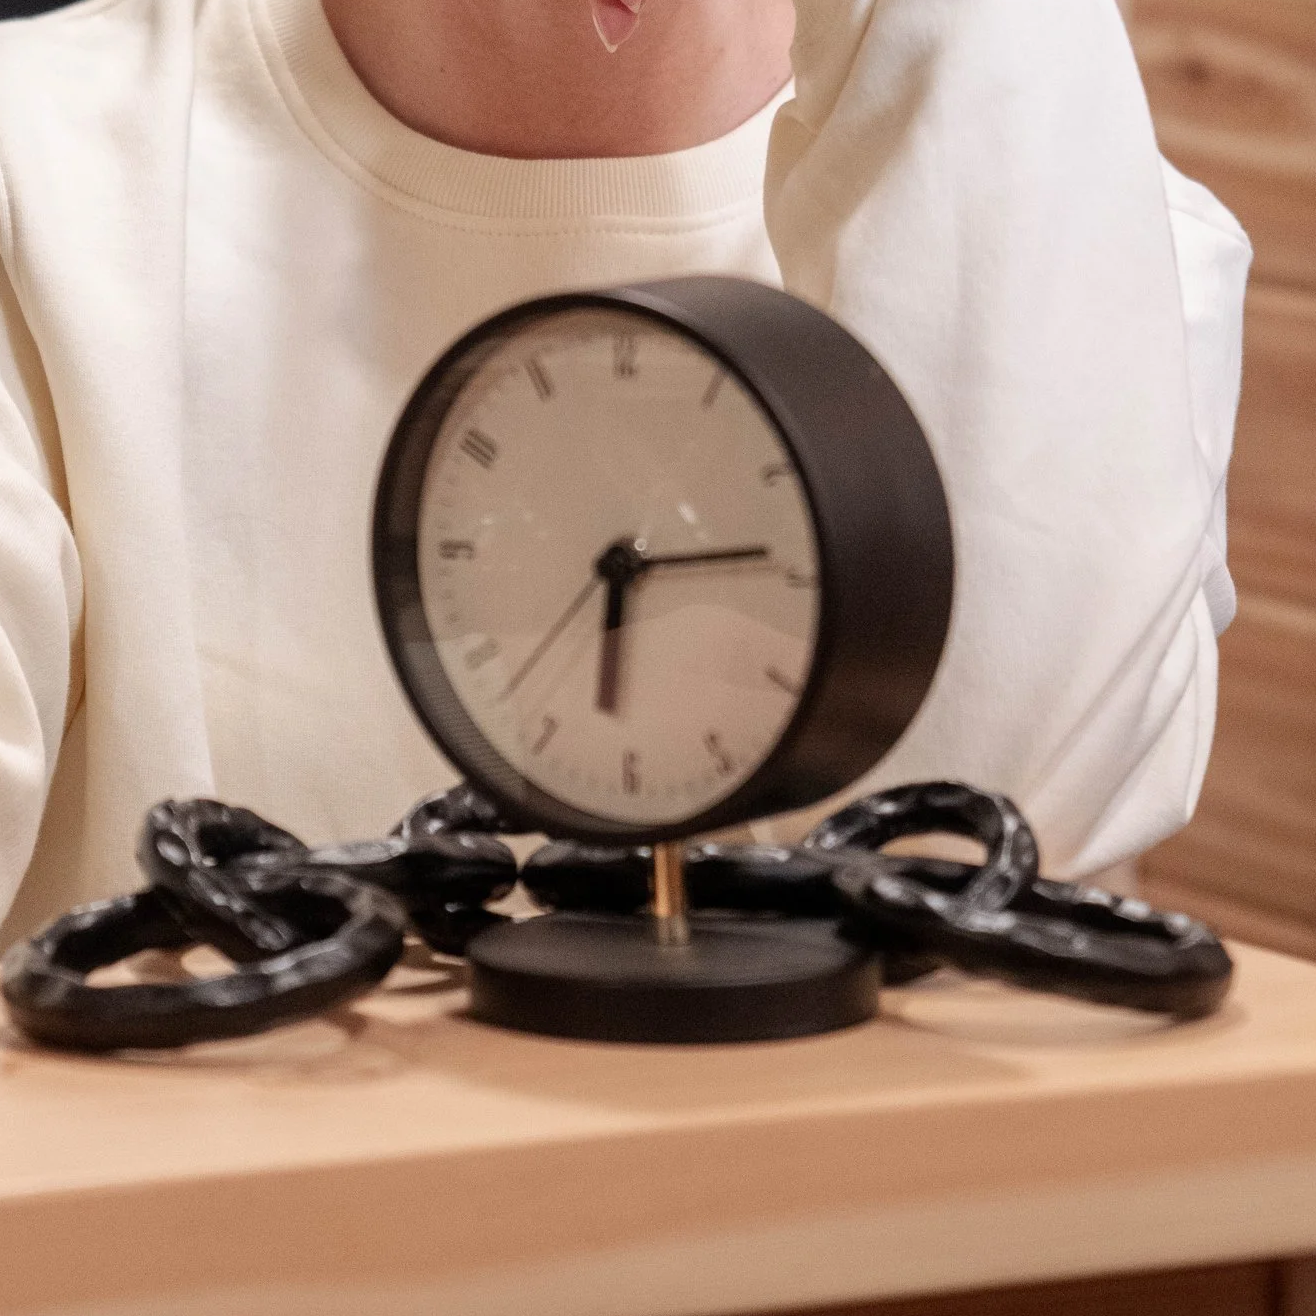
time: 6:13
